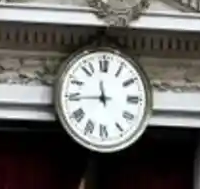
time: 11:44
